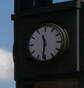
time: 11:31
